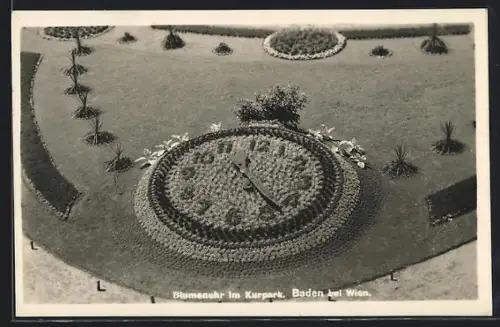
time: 12:23
